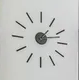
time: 1:13
